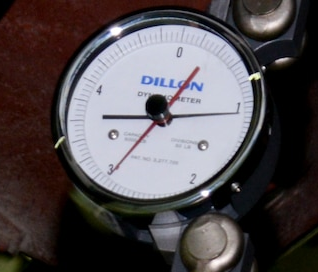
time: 10:45
